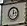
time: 12:13
